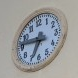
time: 6:46
